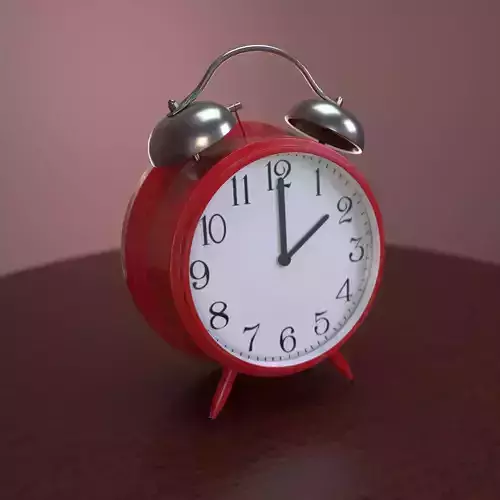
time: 2:00
